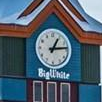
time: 1:13
